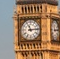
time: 11:13
